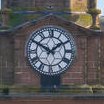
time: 1:50
